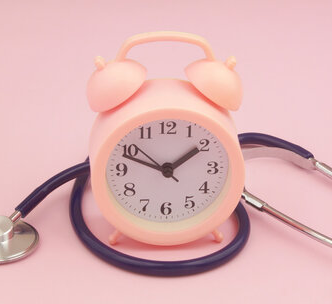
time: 1:48
